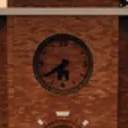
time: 6:39
